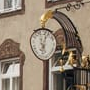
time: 6:03
